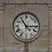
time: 2:54
